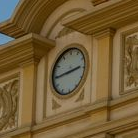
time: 2:44
